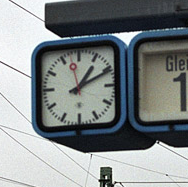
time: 1:10
